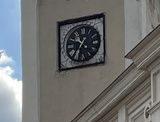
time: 10:36
